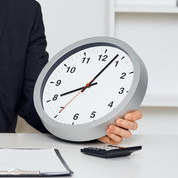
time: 8:03
